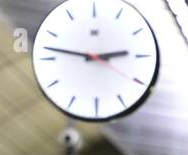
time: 2:47
